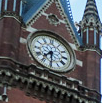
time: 7:30
